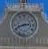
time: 2:41
